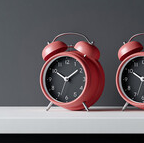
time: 1:50
